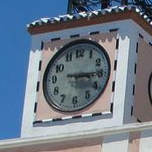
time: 3:14
